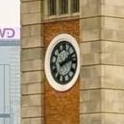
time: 2:12
